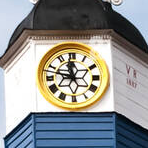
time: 11:47
